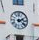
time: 2:21
